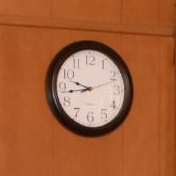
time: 9:43
